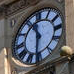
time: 11:31
